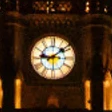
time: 9:08
